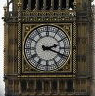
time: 2:18
